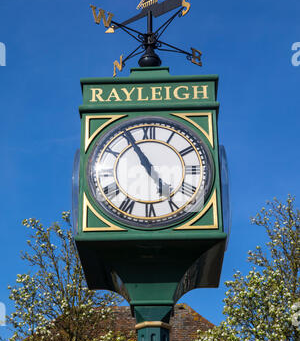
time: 4:55
